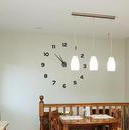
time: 10:52
